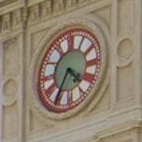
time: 4:35
